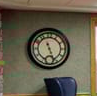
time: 11:26
